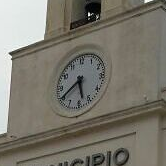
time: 5:40
